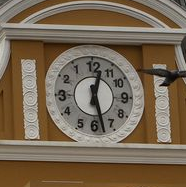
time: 12:27
